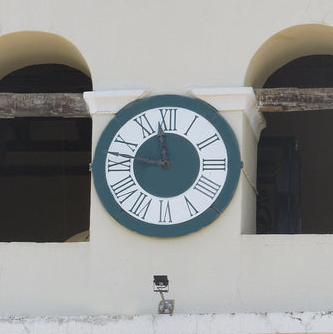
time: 11:46
